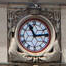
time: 11:13
